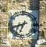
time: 6:41
